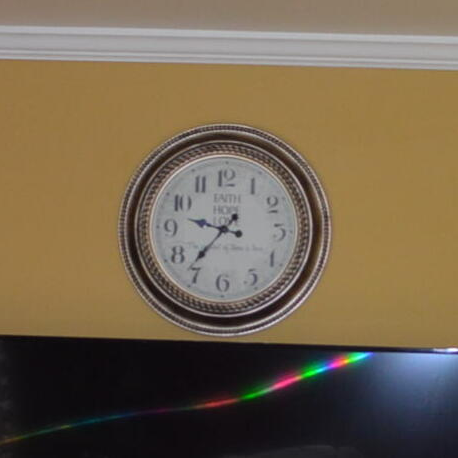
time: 9:36
